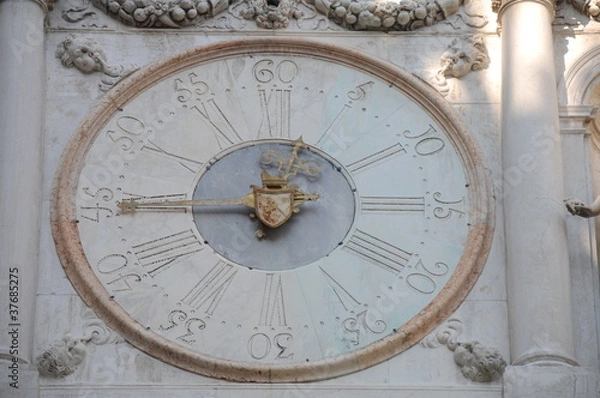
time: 11:44
